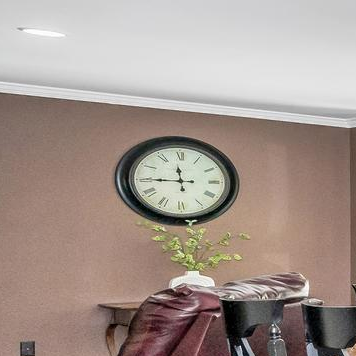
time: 11:45
